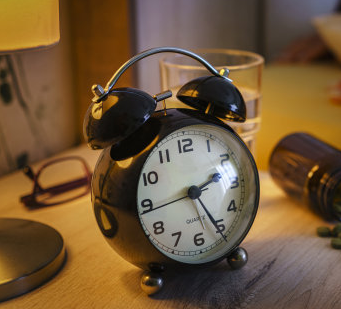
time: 2:25
